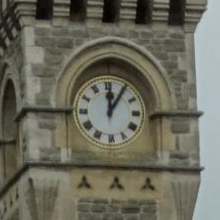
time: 12:05
